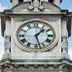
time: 1:27
